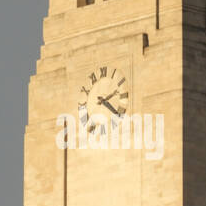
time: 2:21
